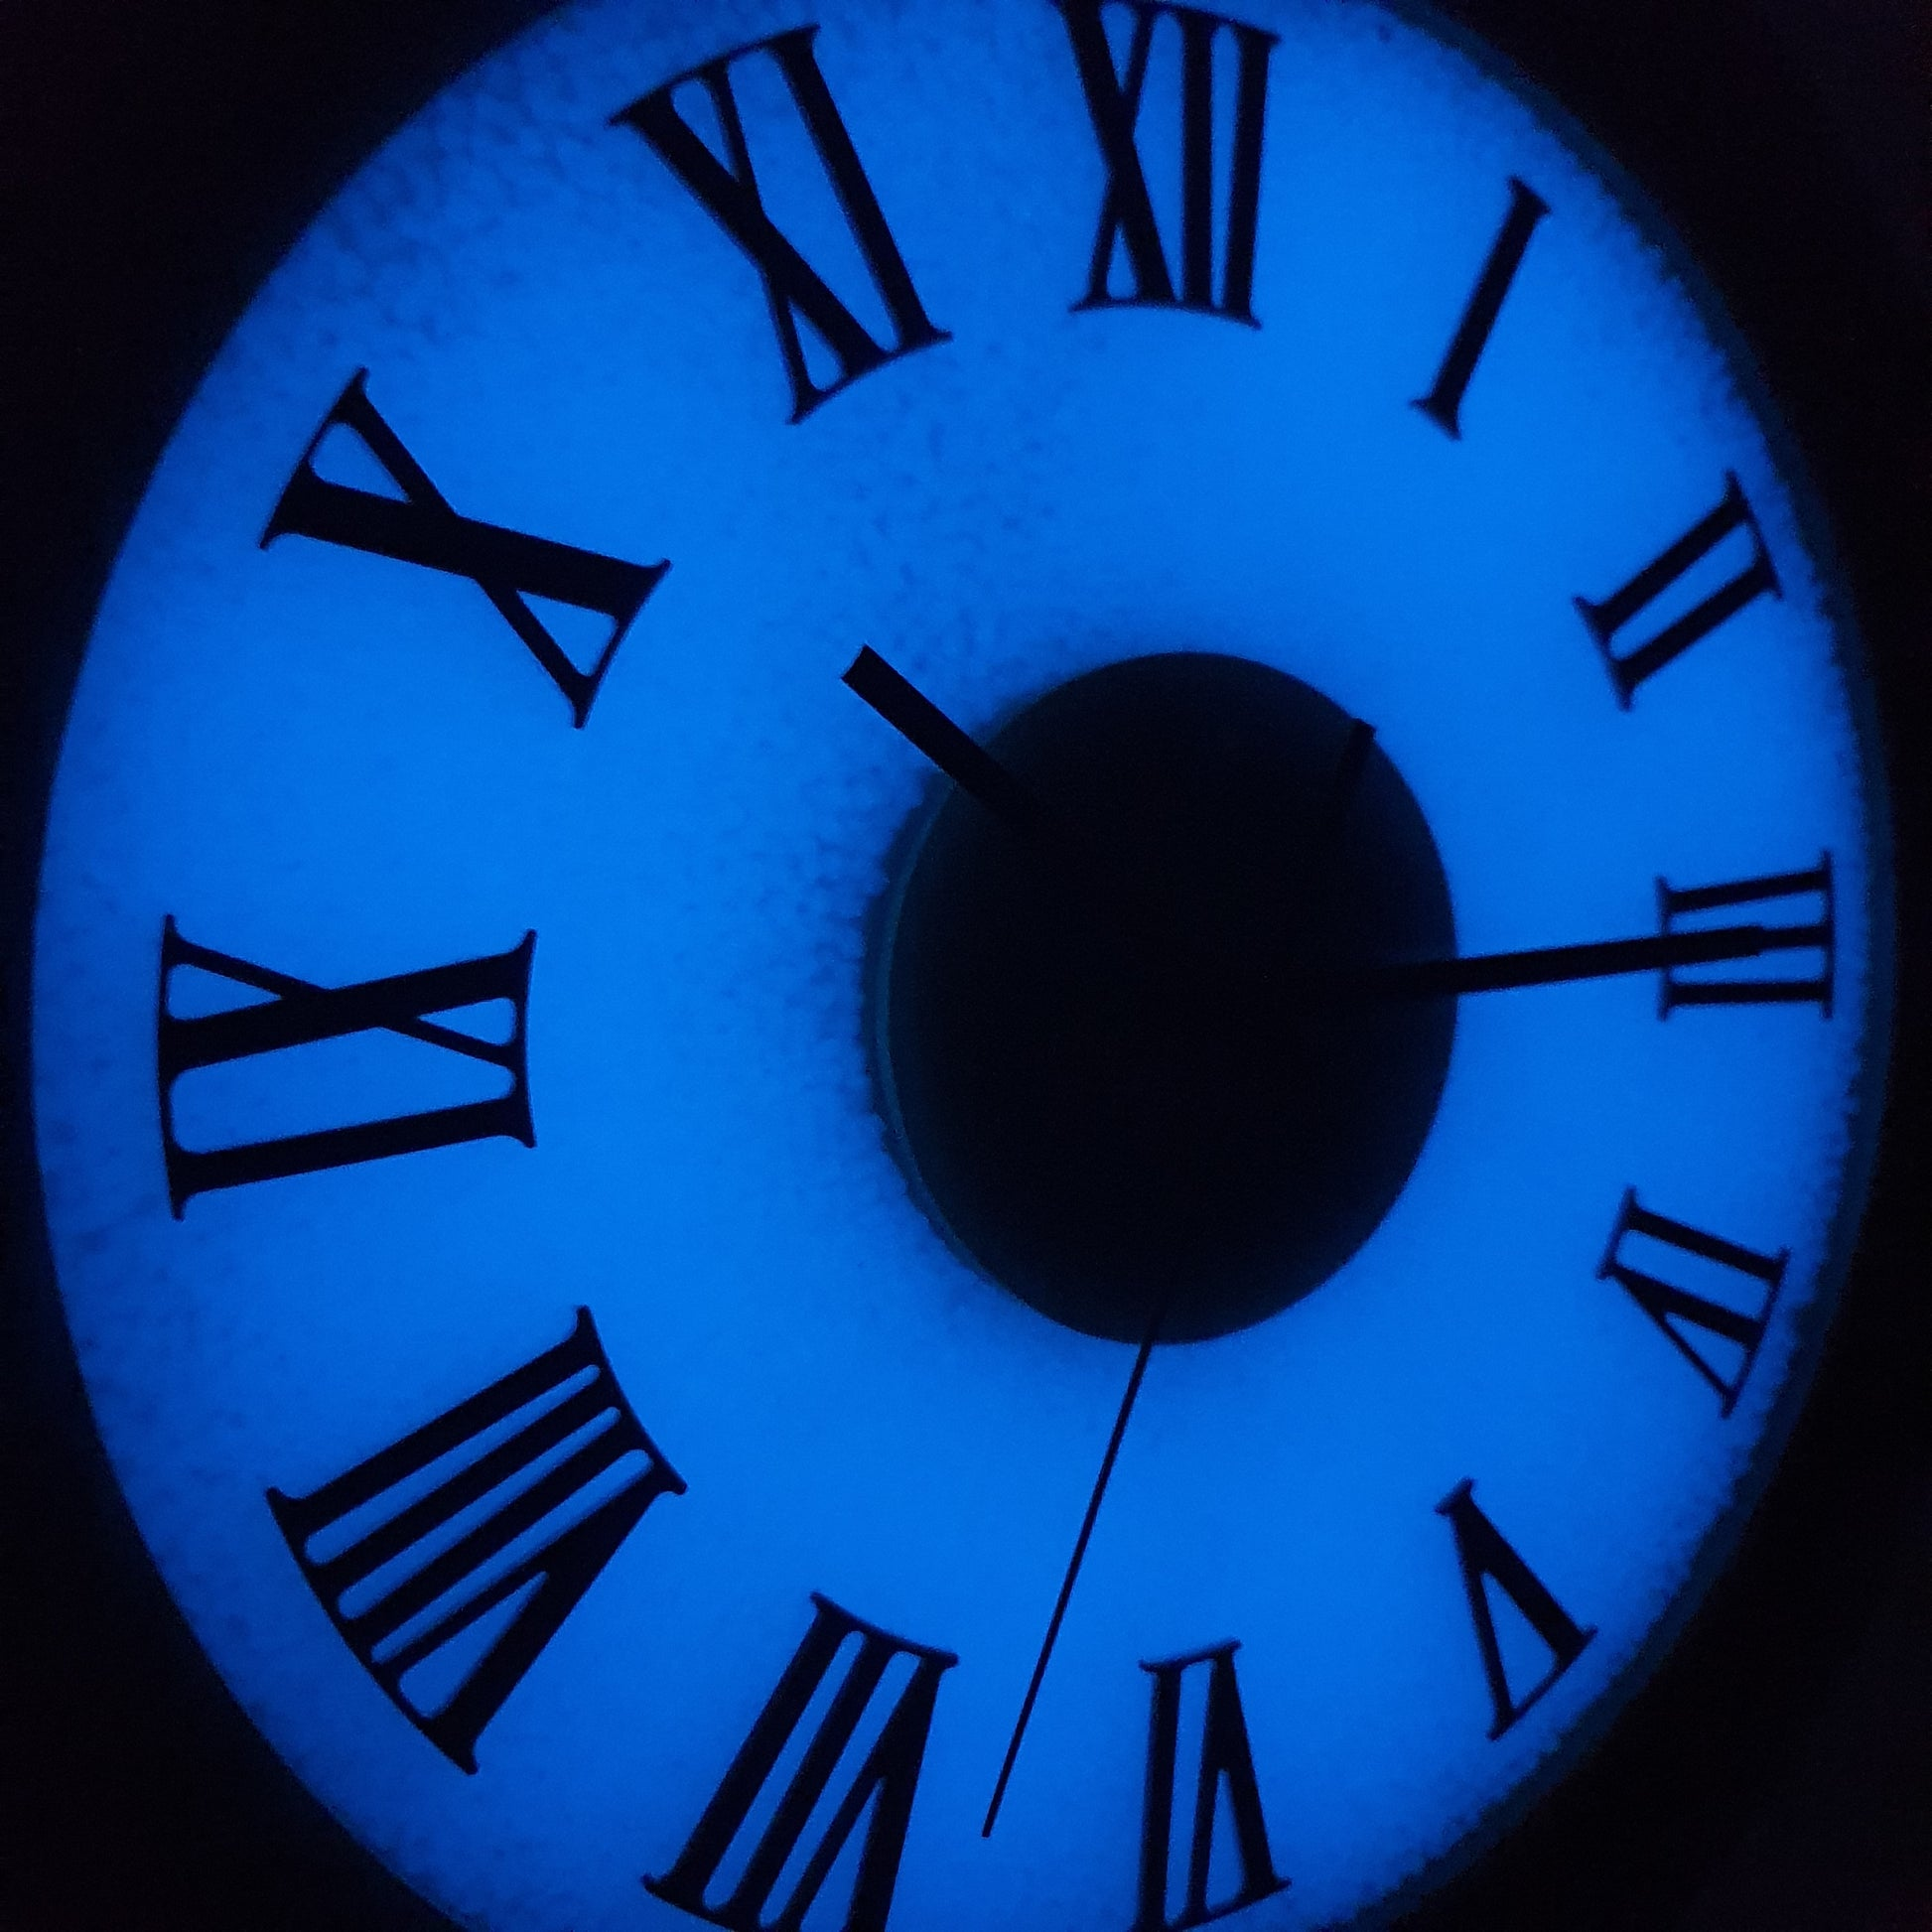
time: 10:14
